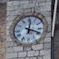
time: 12:18
